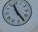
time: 11:24
